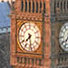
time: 7:28
